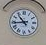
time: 10:43
